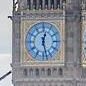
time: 12:27
